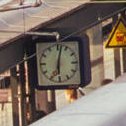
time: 6:02
